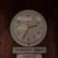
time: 2:34
